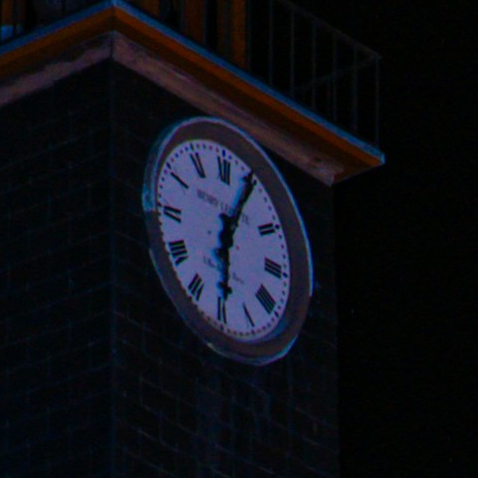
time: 6:04
